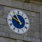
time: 9:55
